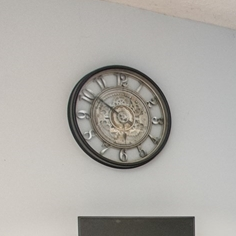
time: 5:51
